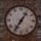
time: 7:06
